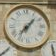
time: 1:37
